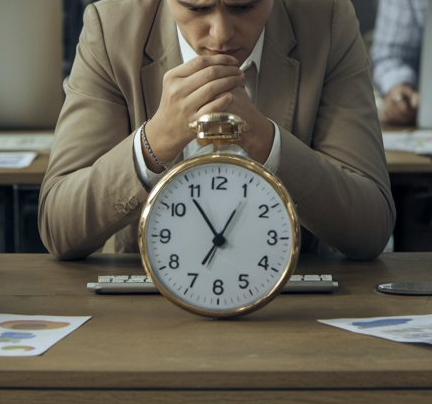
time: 6:54
